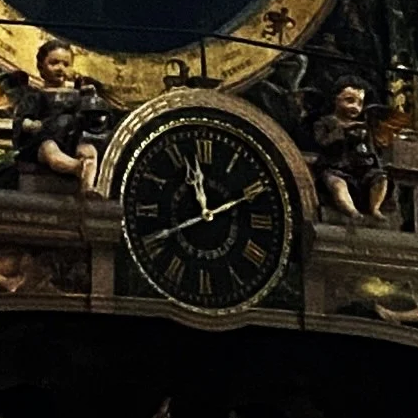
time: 11:40
